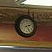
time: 2:24
